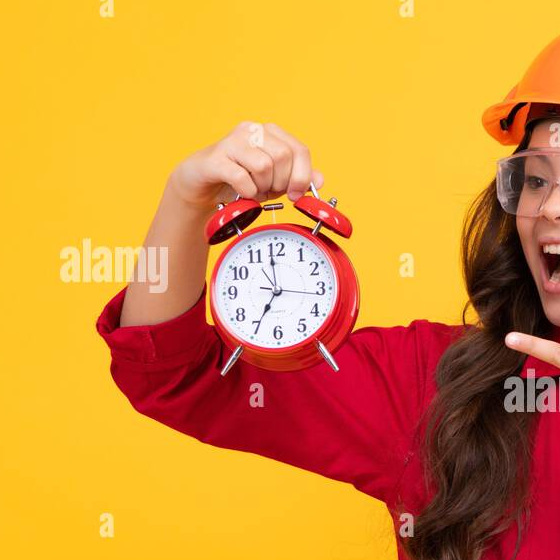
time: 6:58
